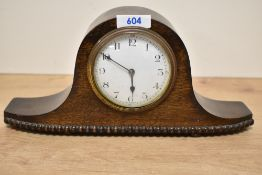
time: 5:50
